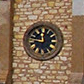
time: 11:46
